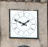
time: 1:48
